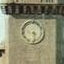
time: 4:28
